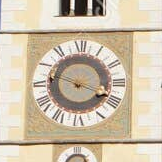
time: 3:47
